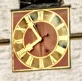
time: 7:54
